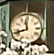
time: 11:42
